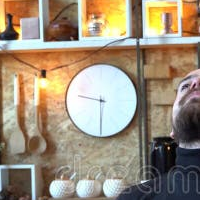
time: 9:30
